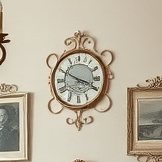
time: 3:49
